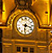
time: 6:17
